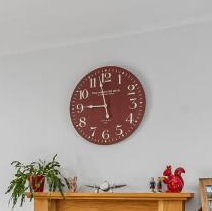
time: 8:57
